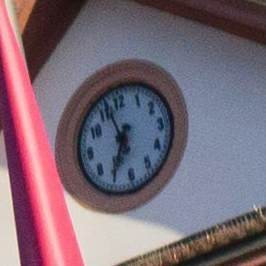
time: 6:57
